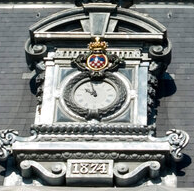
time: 9:57
